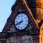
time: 7:41
